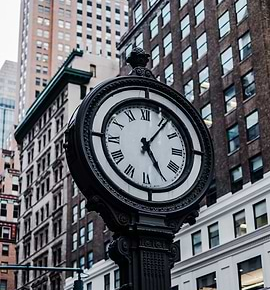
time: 5:06
